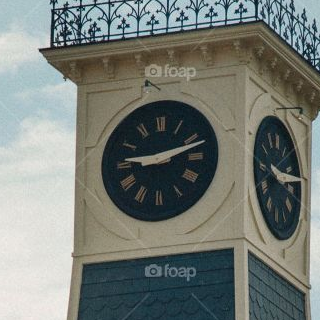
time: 9:12
